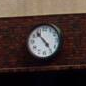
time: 4:53
